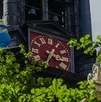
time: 3:34
